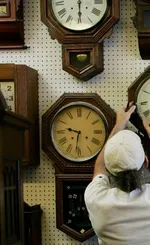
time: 9:31
